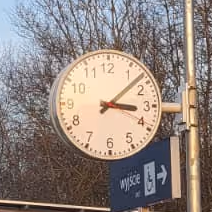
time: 3:08
